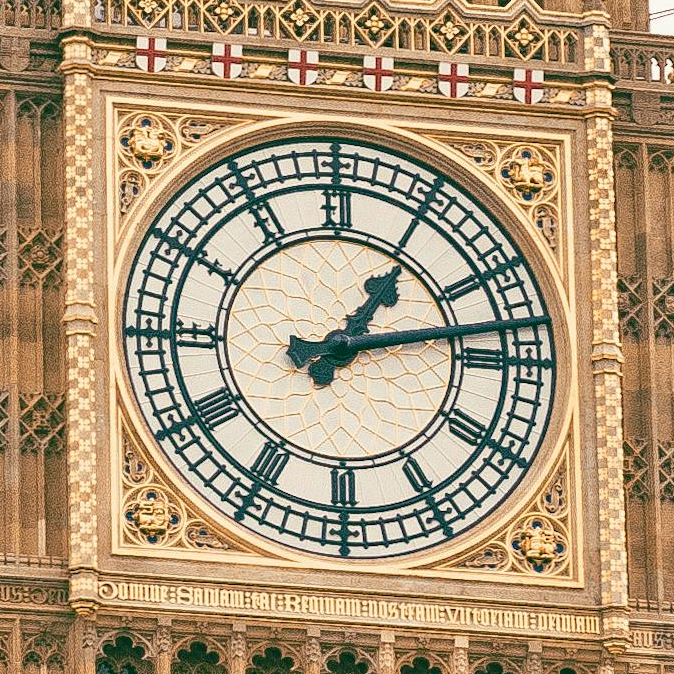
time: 1:12
